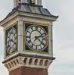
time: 2:21
